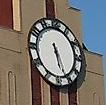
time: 5:26
